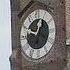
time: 12:48
